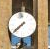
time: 7:37
